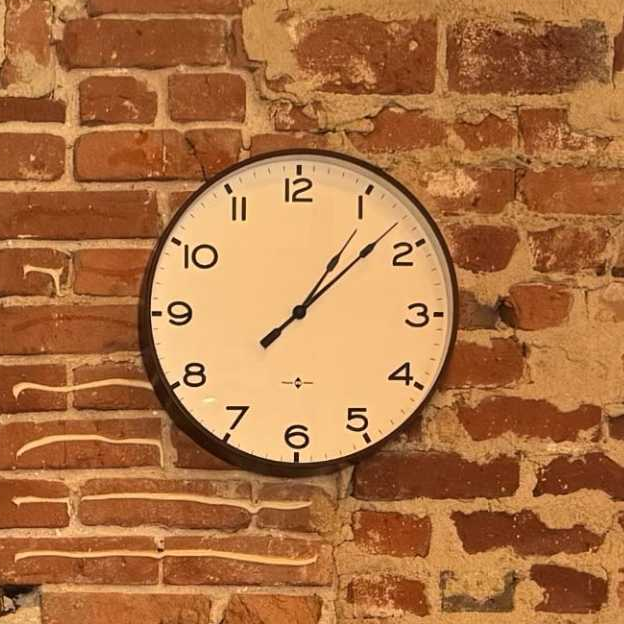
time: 1:08
